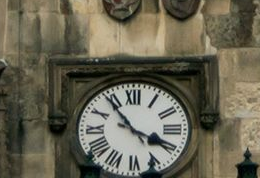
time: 3:53
